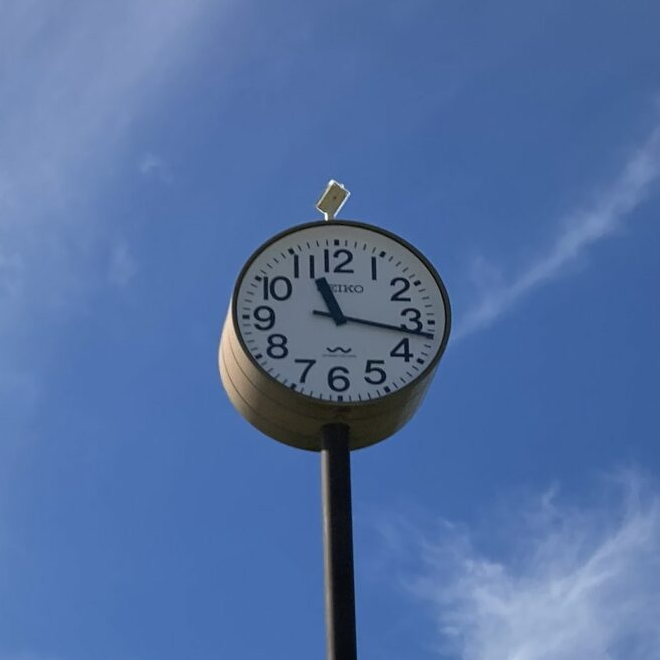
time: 11:16
